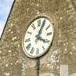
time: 4:04
